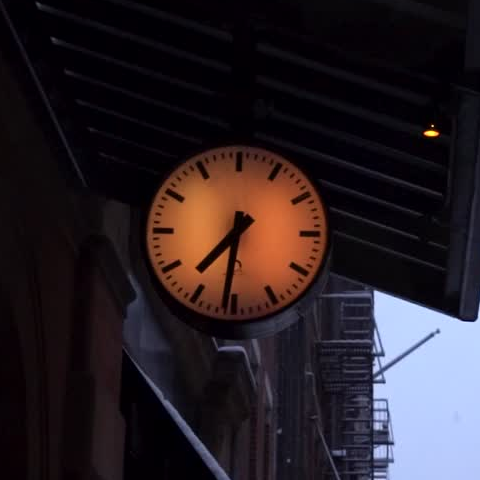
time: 7:31
